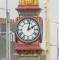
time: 2:02
